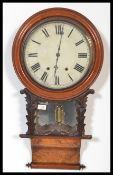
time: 6:01
